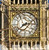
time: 2:38
